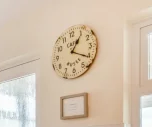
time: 1:20
